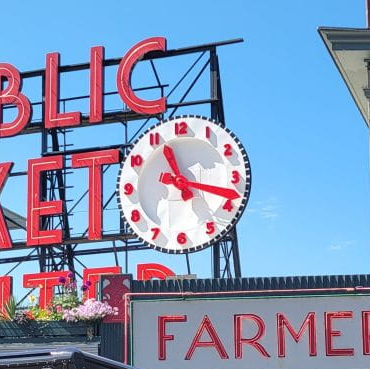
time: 11:17
